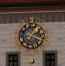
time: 1:18
